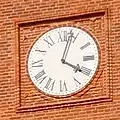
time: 4:03
